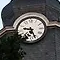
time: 9:26
